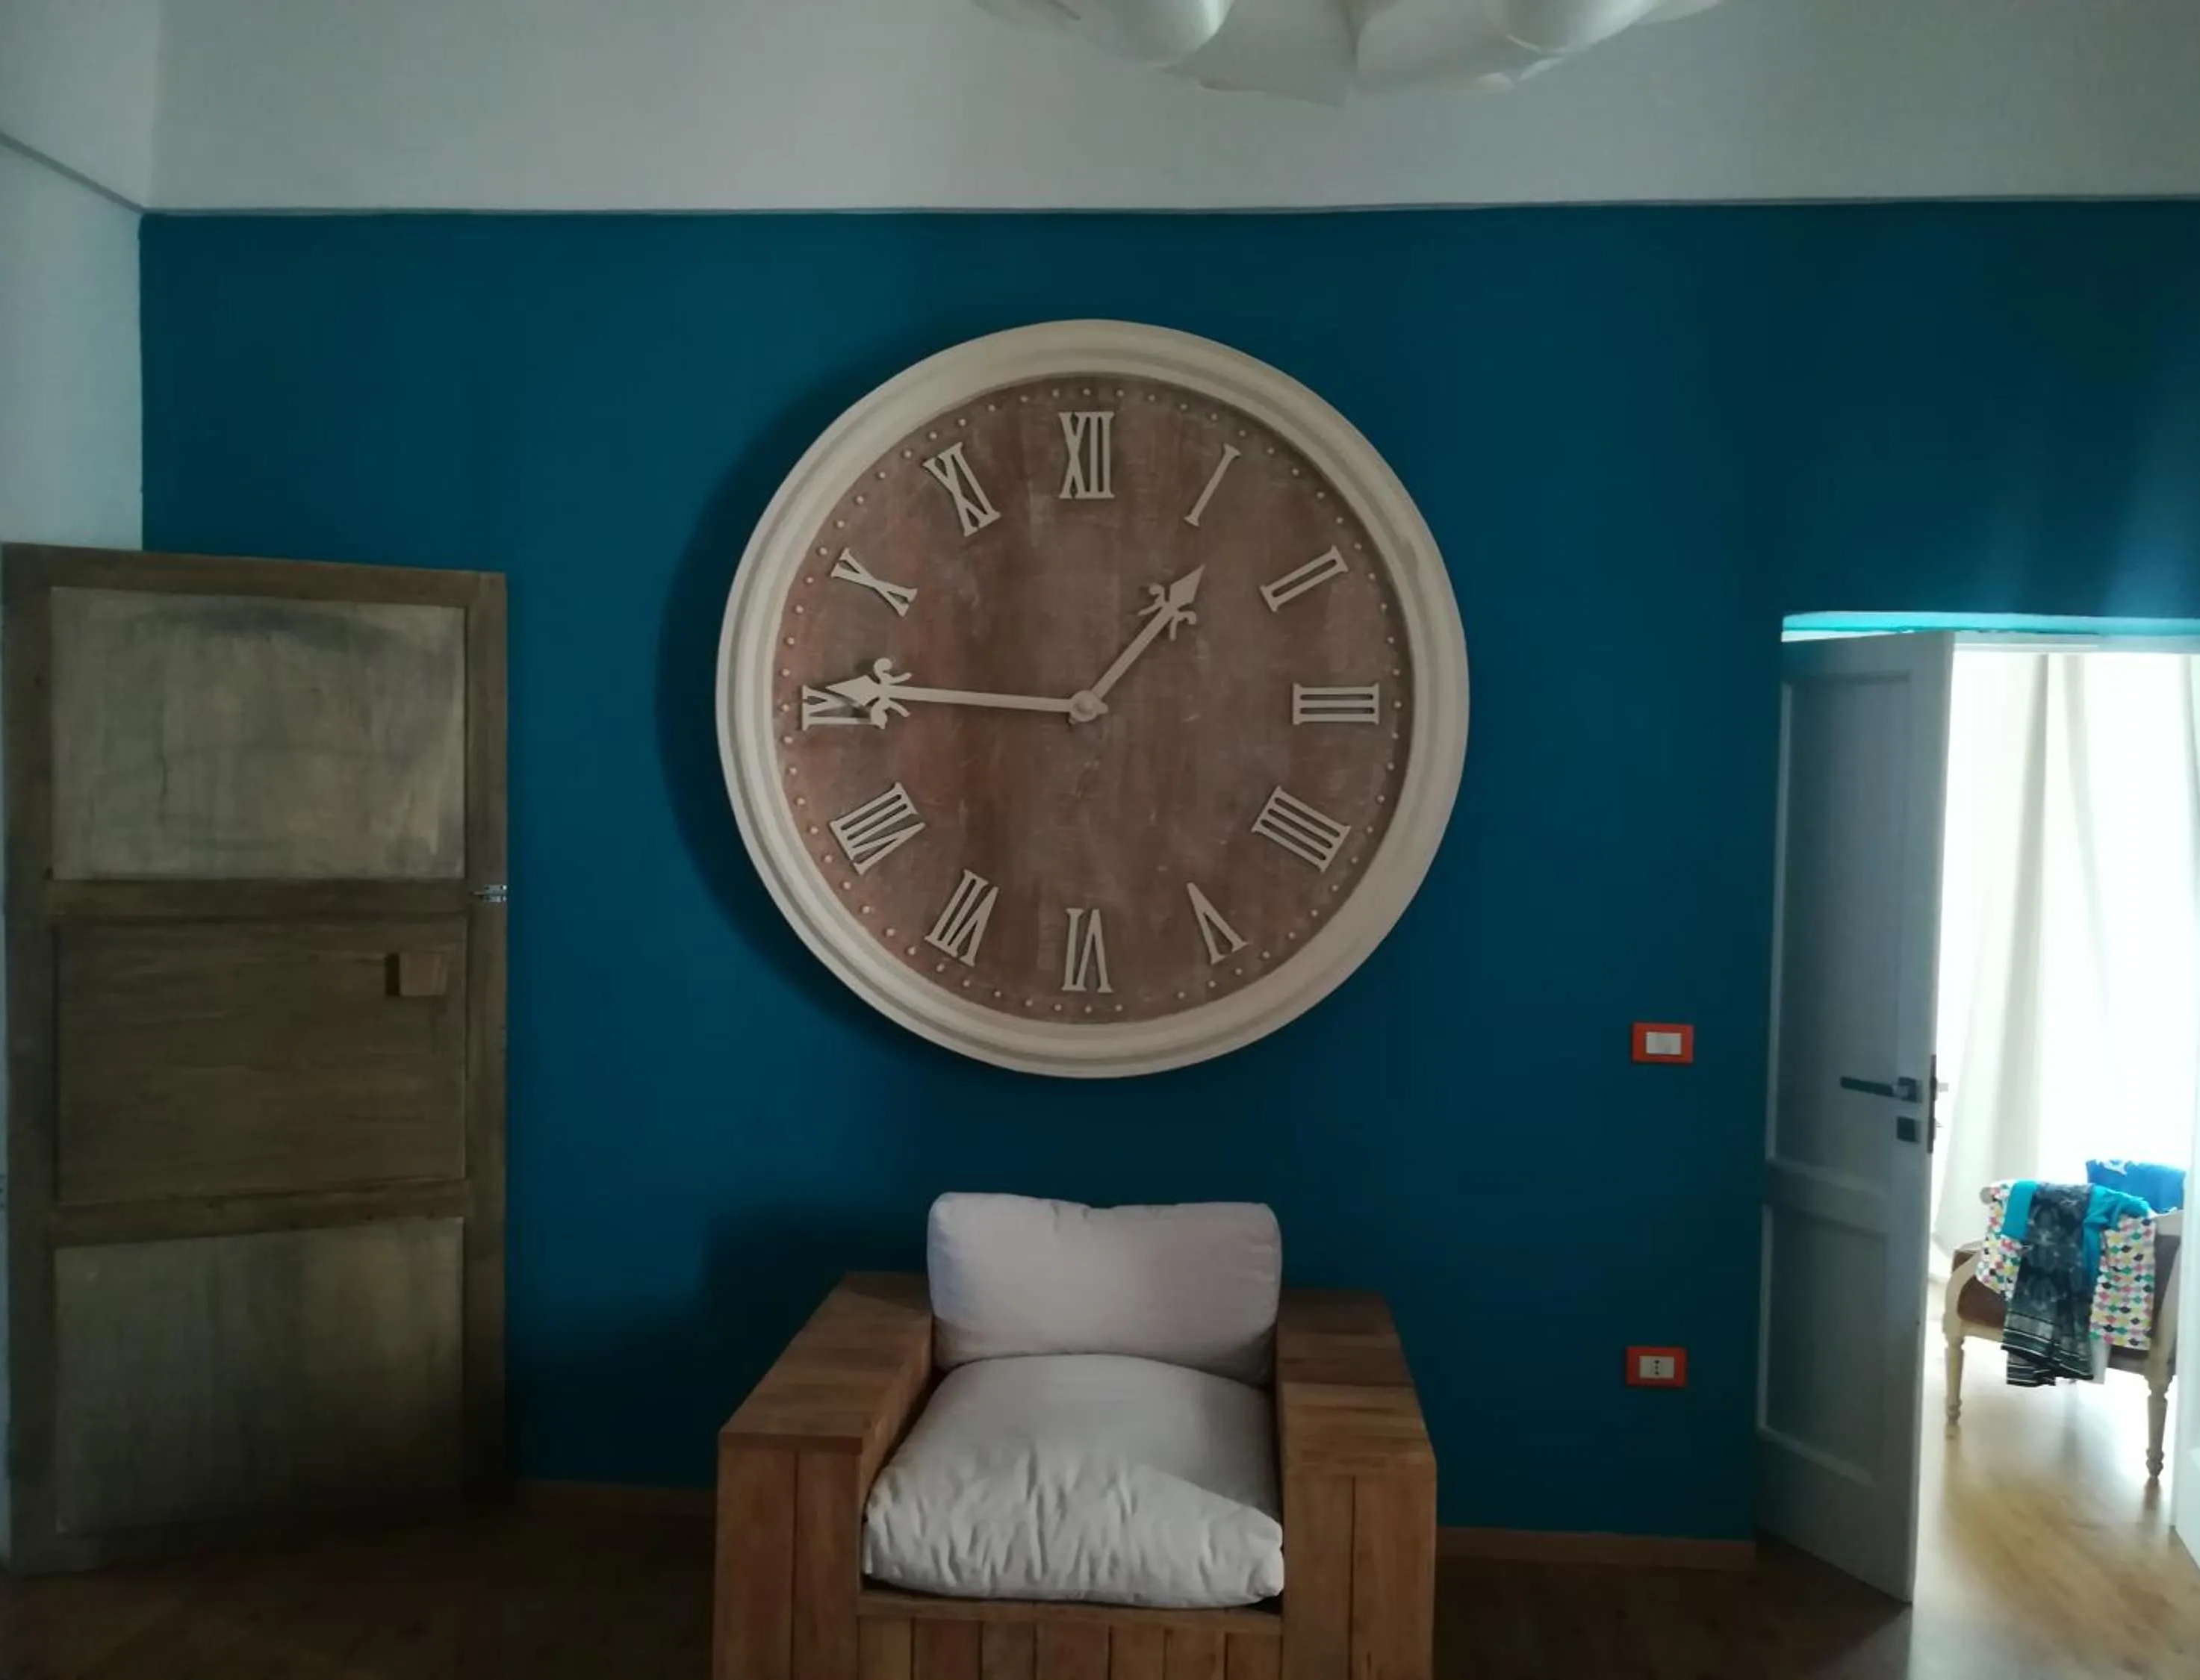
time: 1:45
